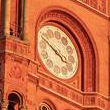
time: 3:49
